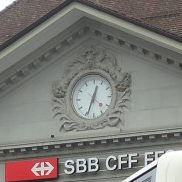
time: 12:33
